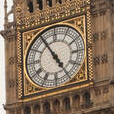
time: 4:54
